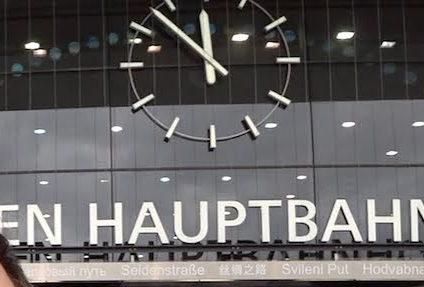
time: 11:52
